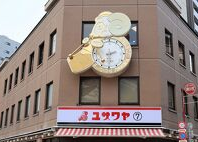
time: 2:29
